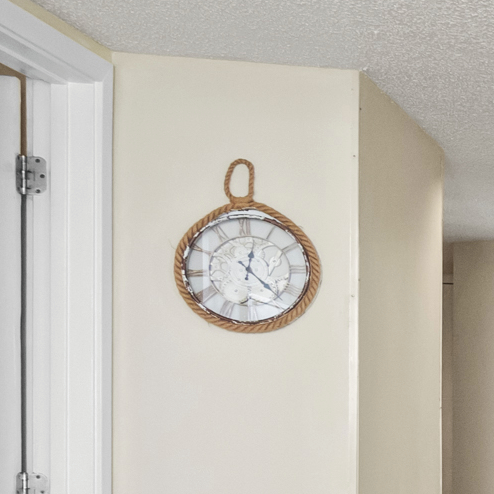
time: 12:23
